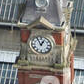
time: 12:55
